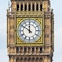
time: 11:50
